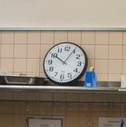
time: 10:04
